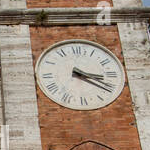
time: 3:20
